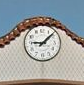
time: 9:08
